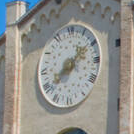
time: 8:08
